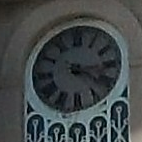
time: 4:14
